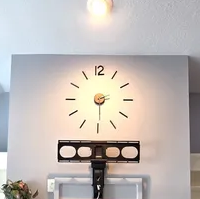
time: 2:29
